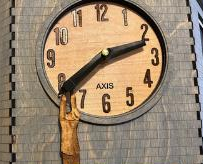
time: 2:39
